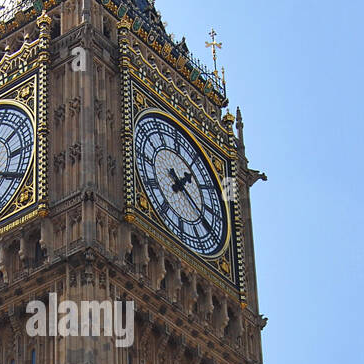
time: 1:20
